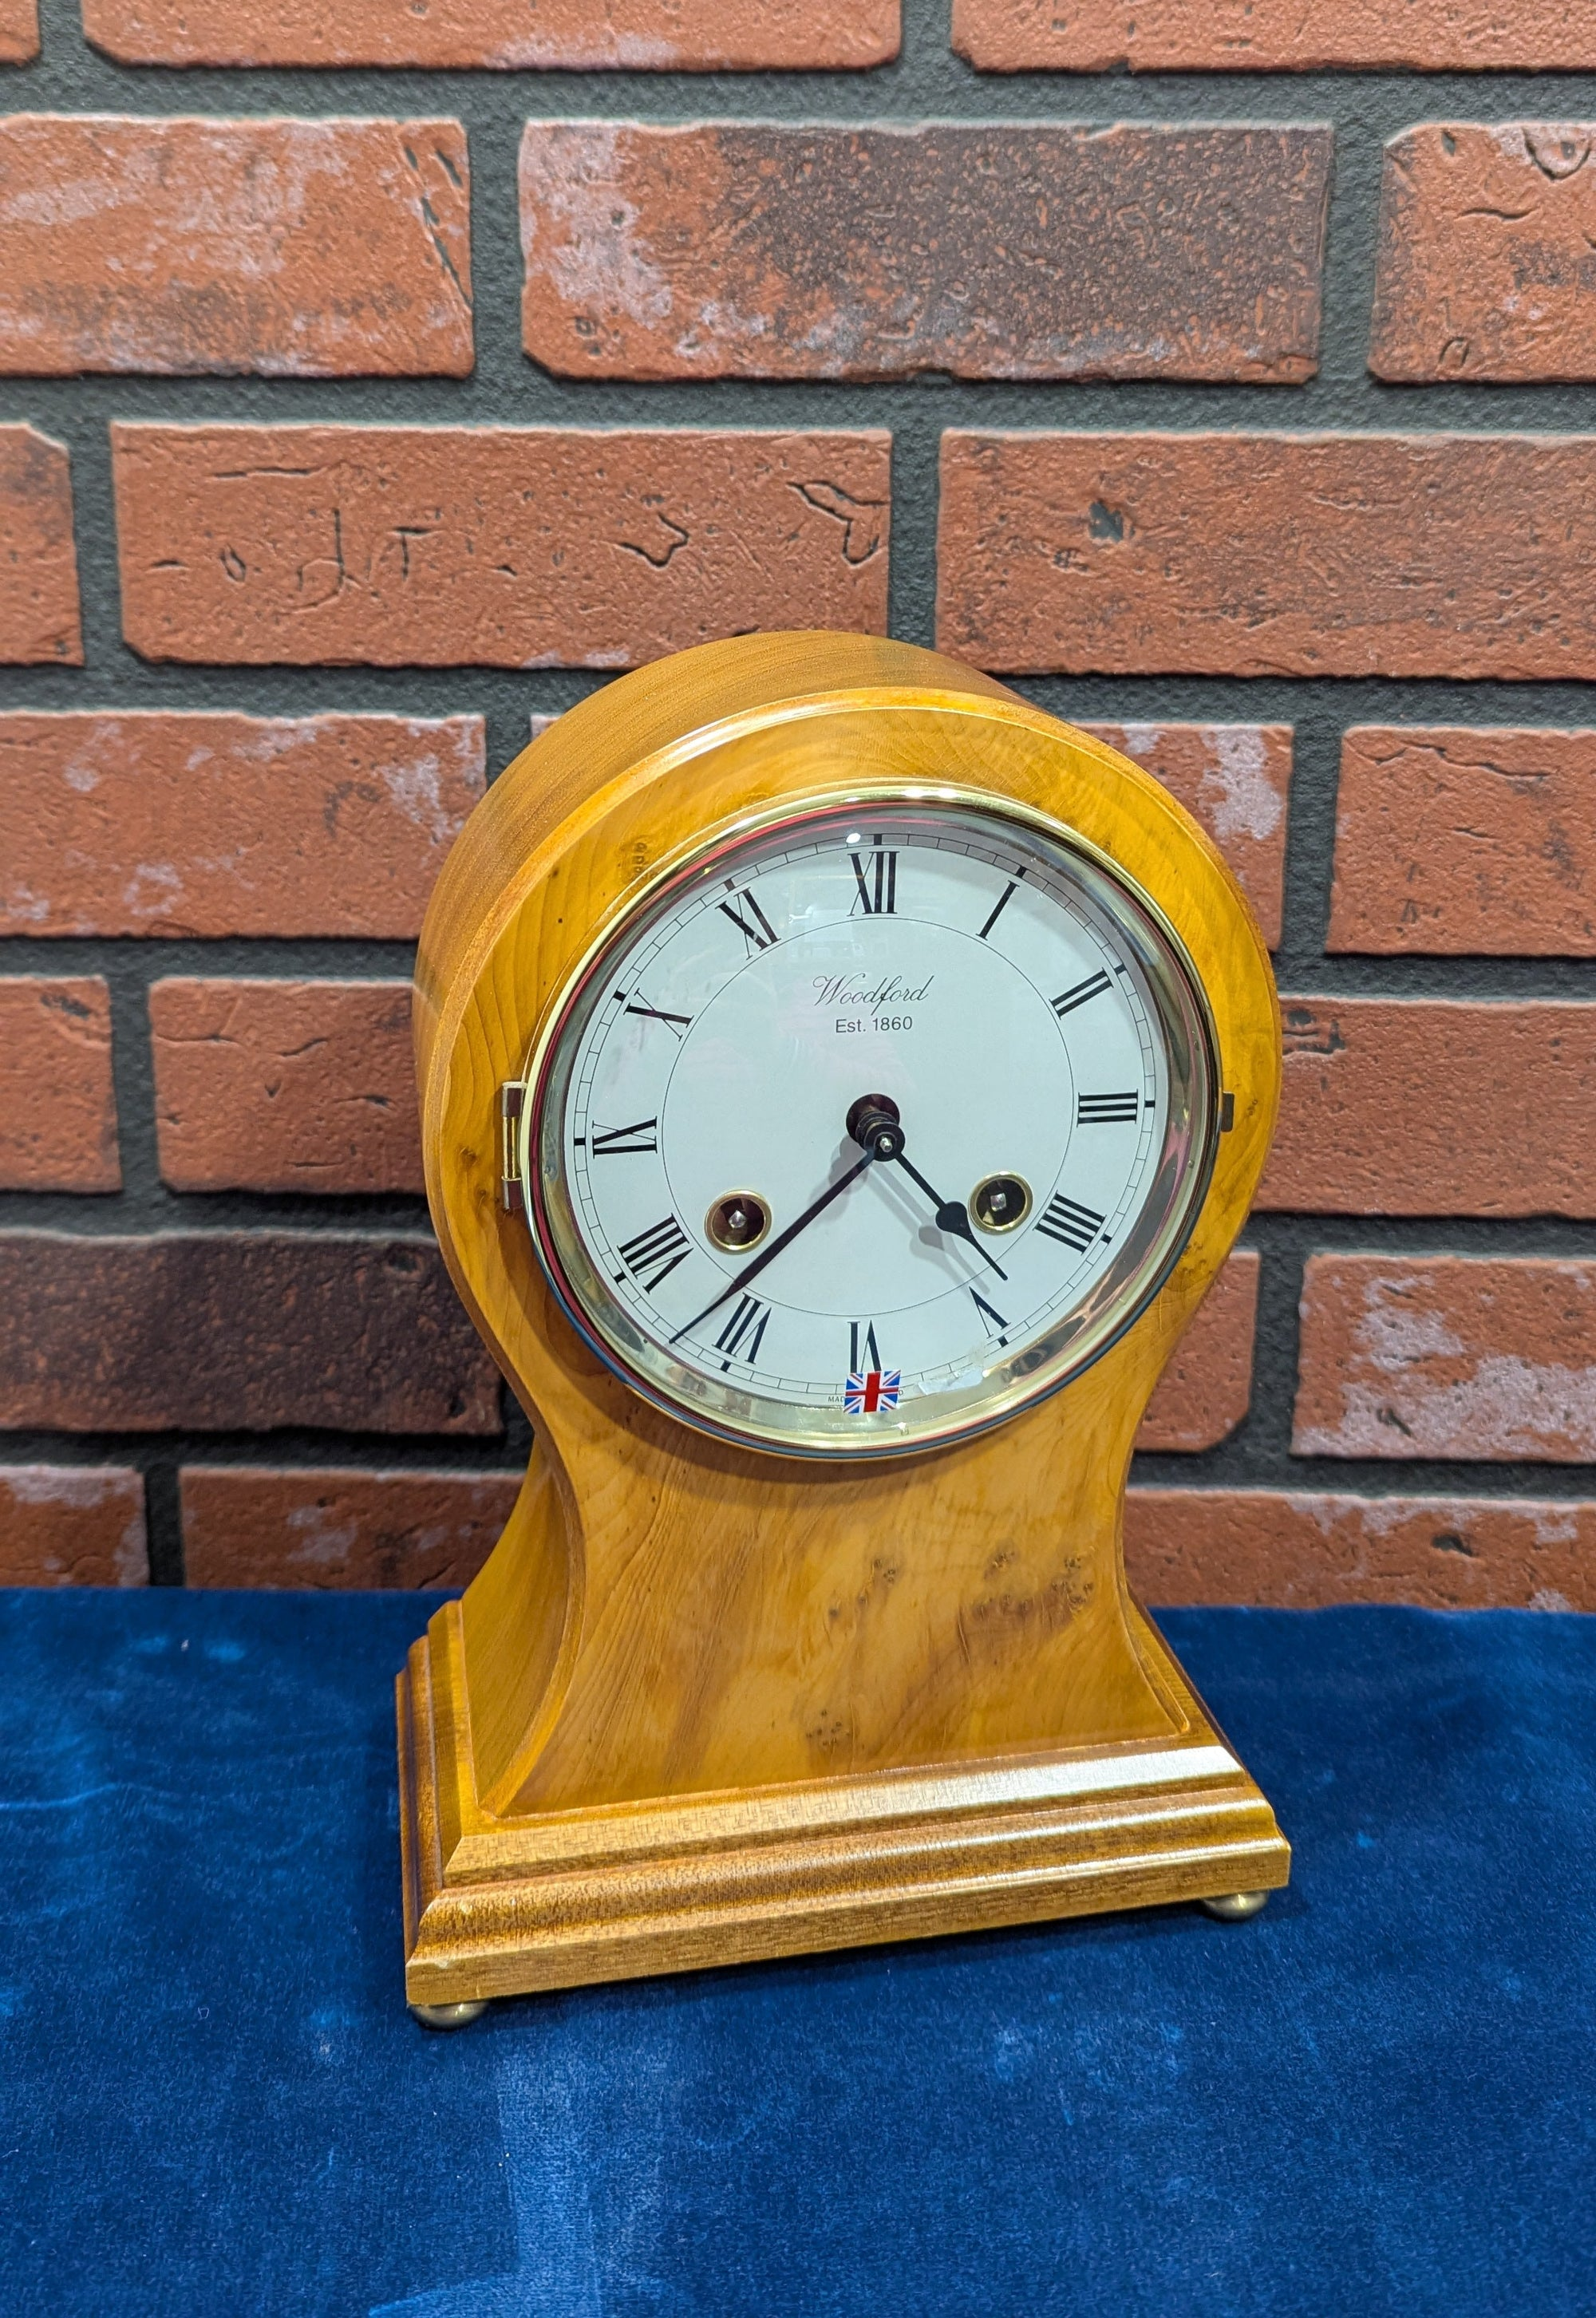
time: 4:37
